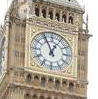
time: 12:55
